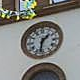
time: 1:32
